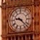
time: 9:22
